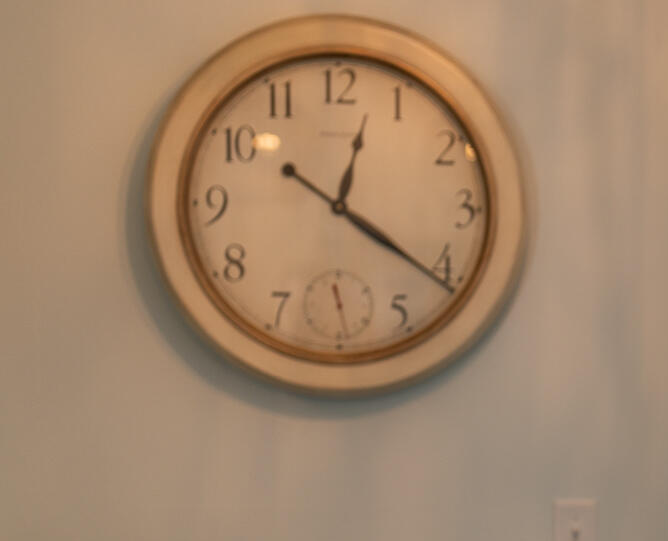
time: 10:20
